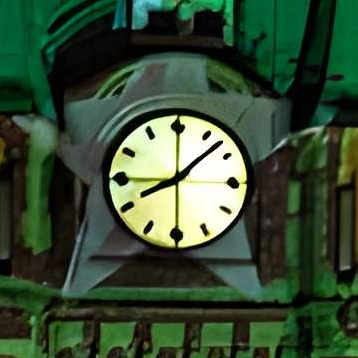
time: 8:07
